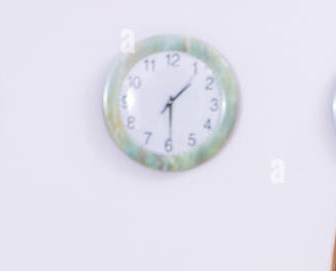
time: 1:29
